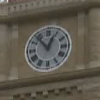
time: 12:53
